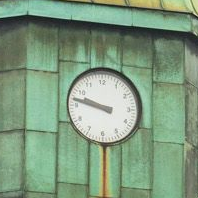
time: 9:47
